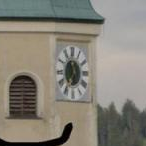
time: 11:35
